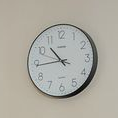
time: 10:44
